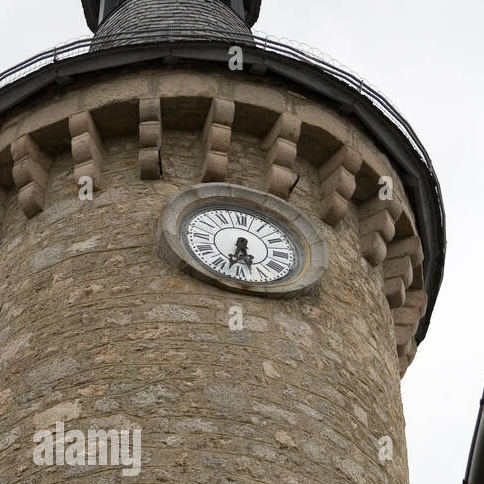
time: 5:32
